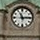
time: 11:14
